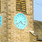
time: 4:38
